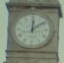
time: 12:08
